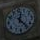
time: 12:23
